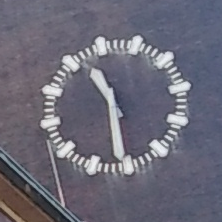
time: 11:30
